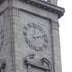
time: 2:11
